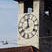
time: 11:40
